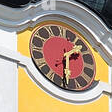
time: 1:30
